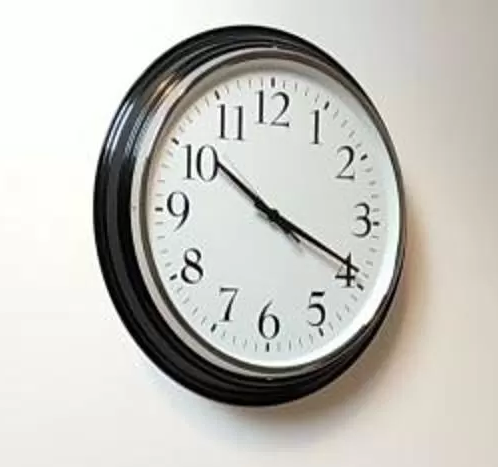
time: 10:19
